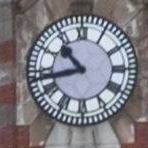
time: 10:42
